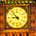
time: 8:53
